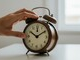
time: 10:09
